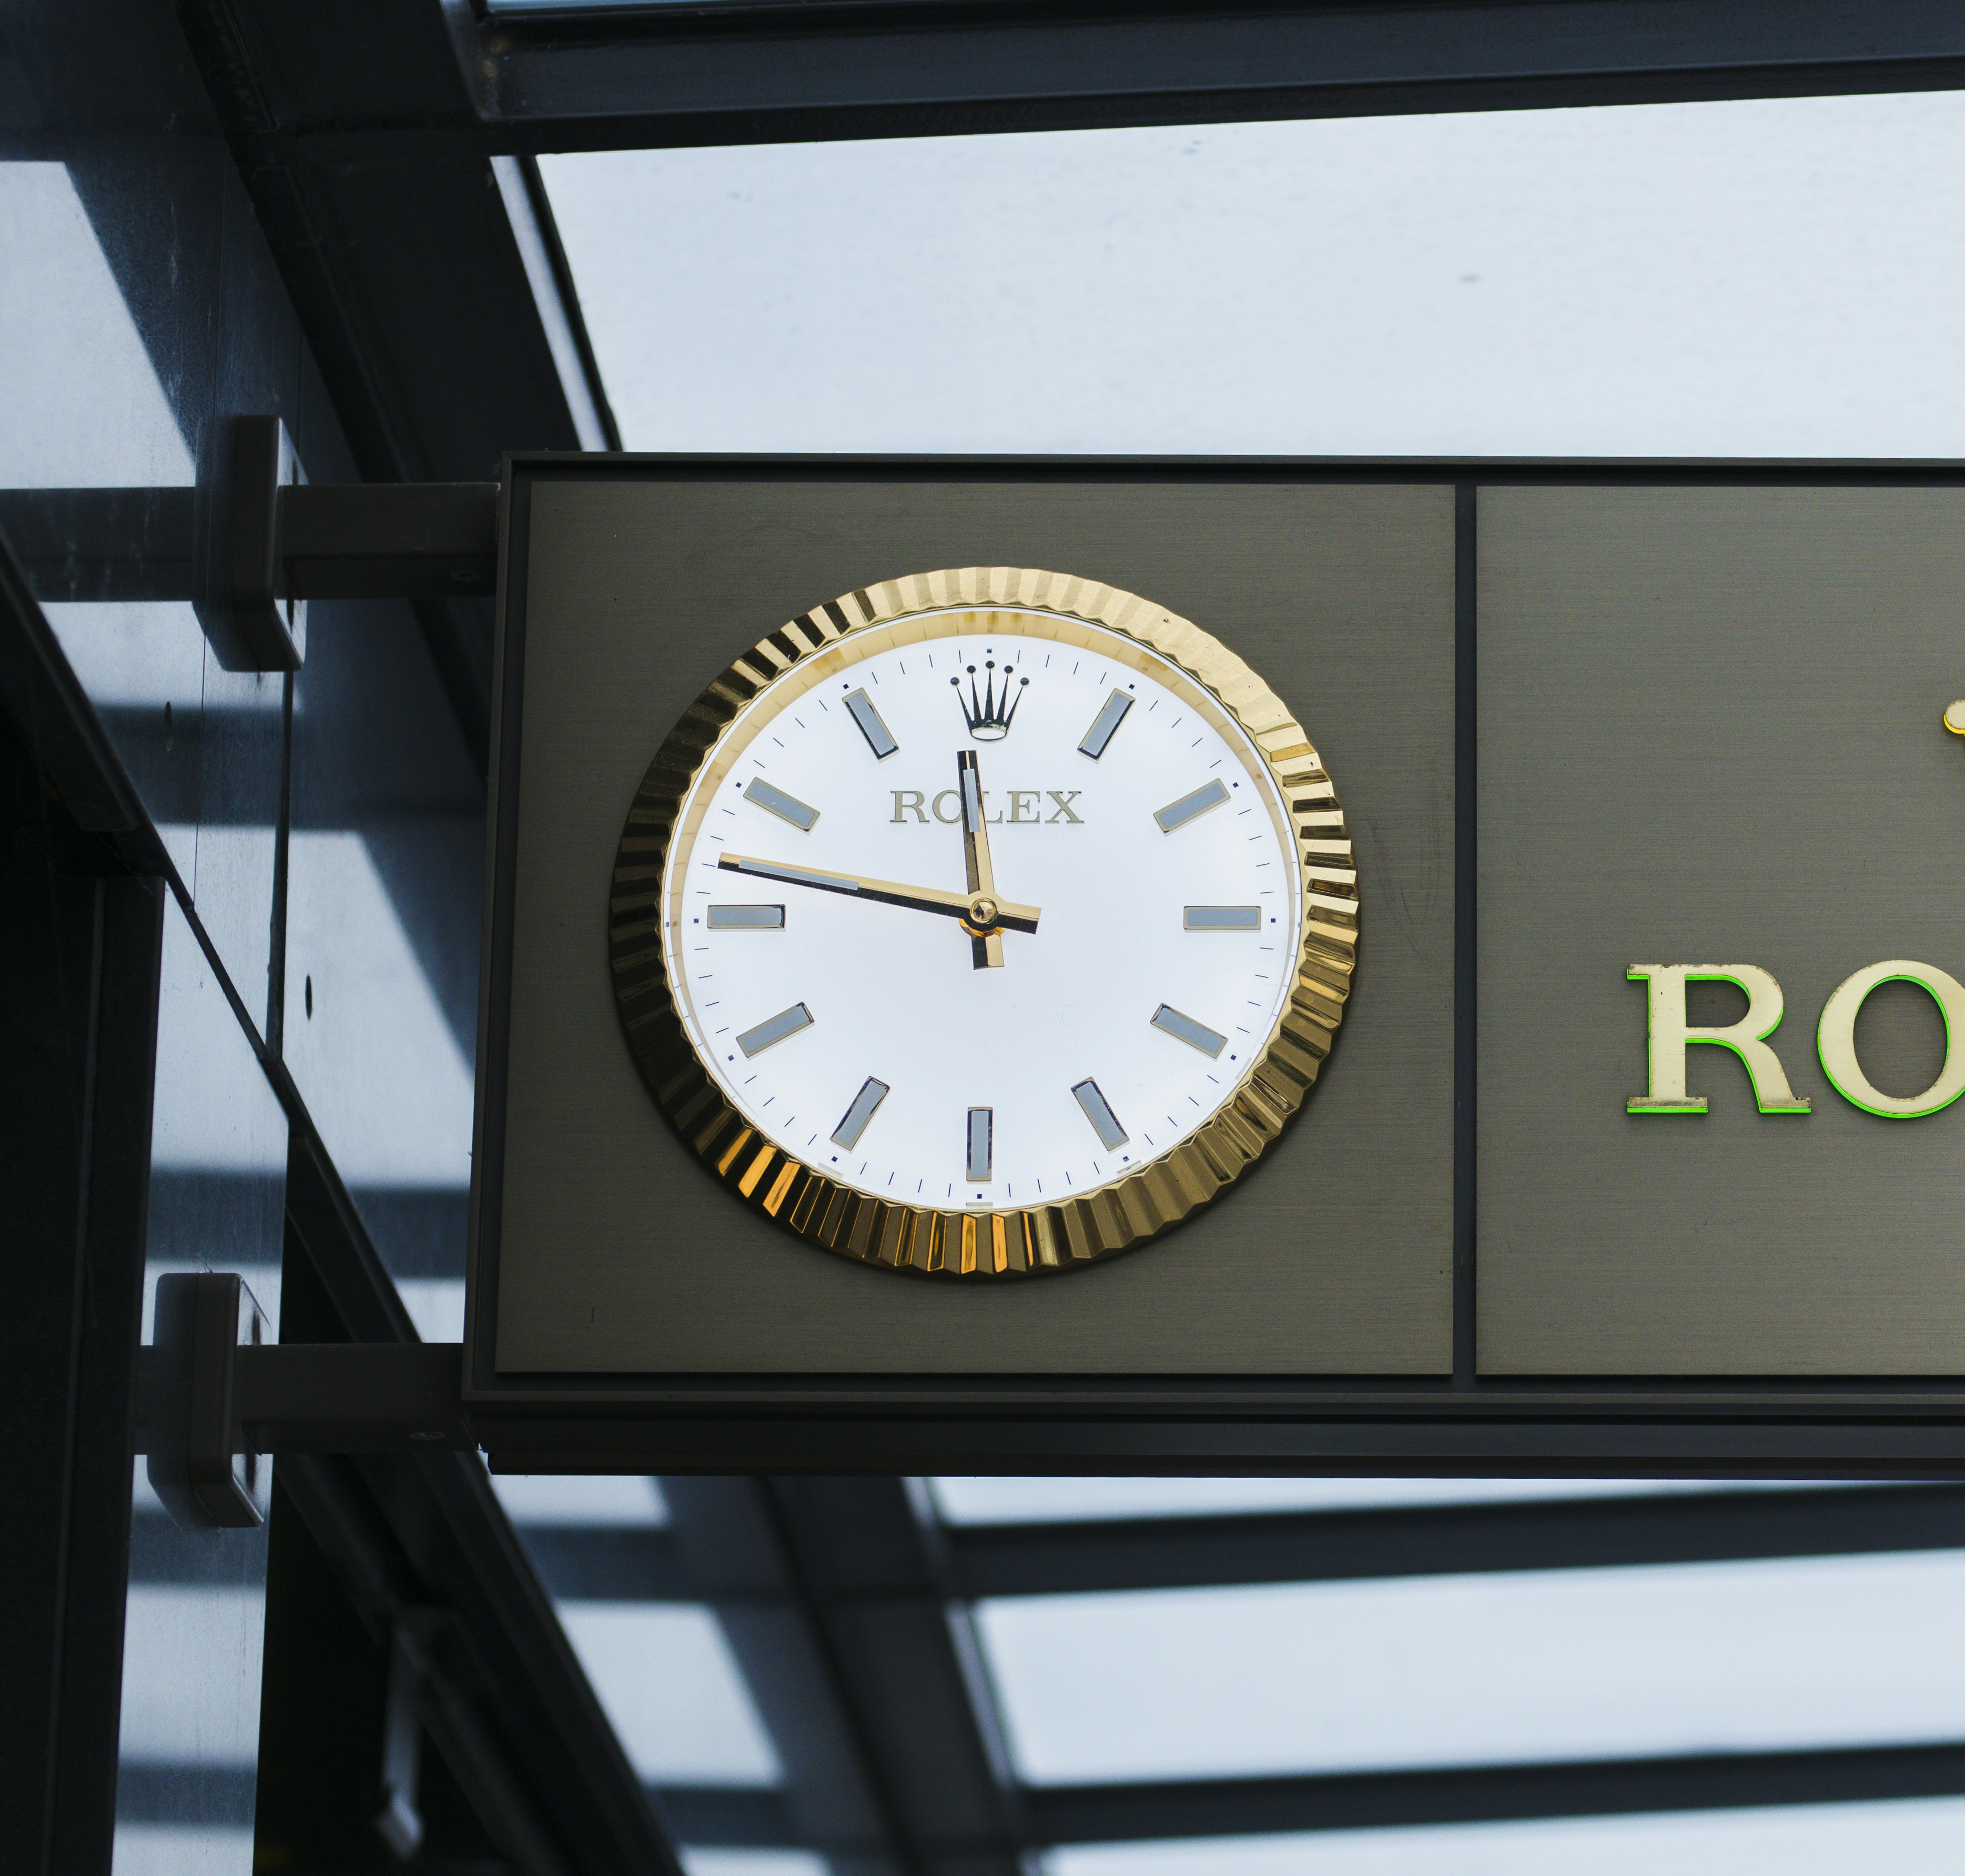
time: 11:46
